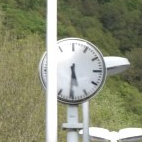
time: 5:31
